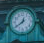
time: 12:38
